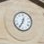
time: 12:34
